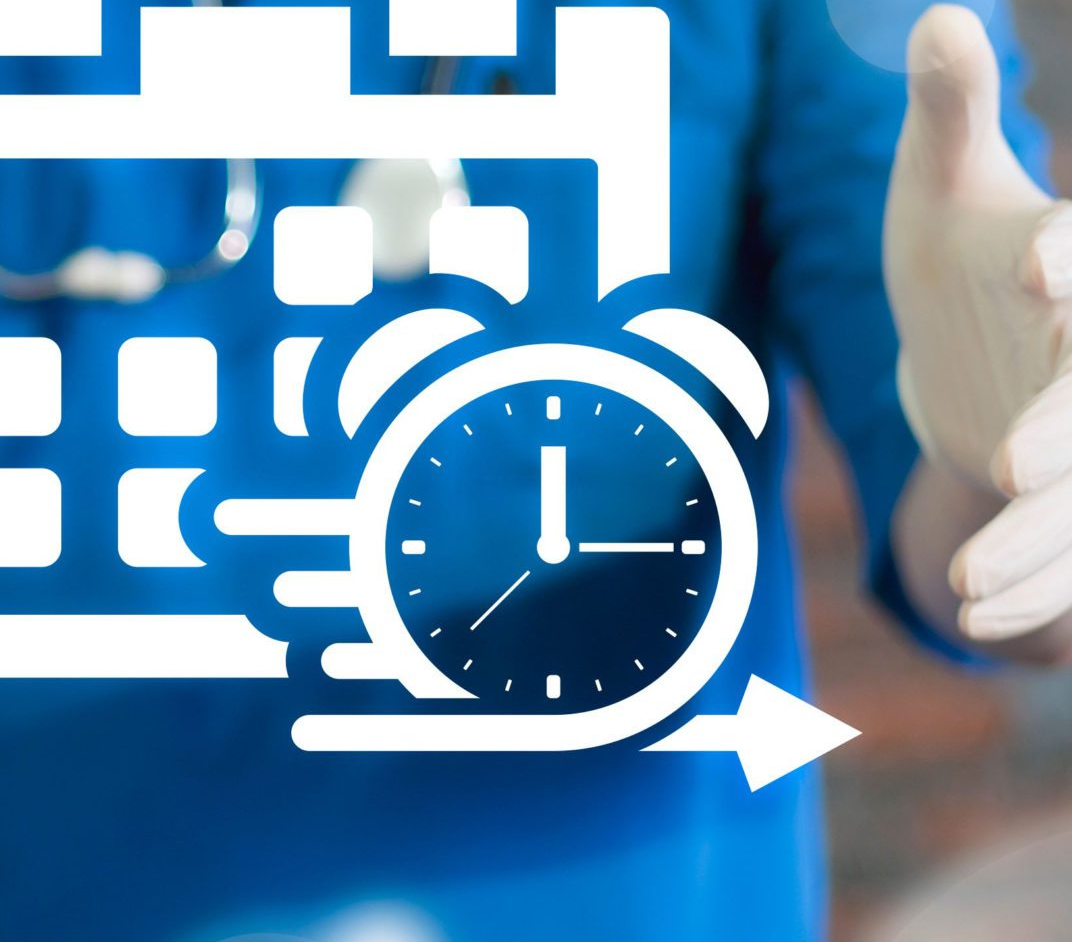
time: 12:14
